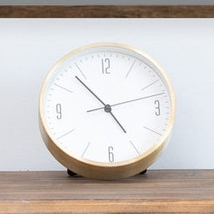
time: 4:53
